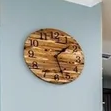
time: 1:27
